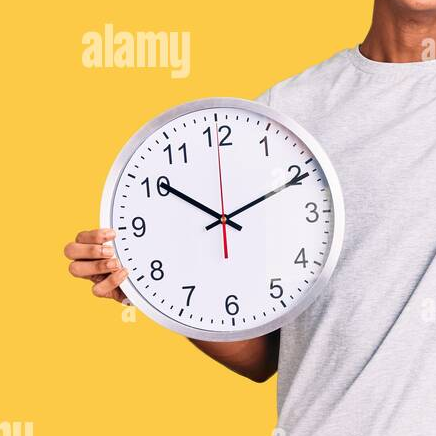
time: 10:10
